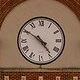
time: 4:50
